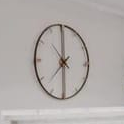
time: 5:59
